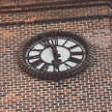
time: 5:57
